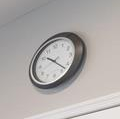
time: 10:22
